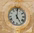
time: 5:01
